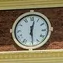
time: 12:28
